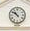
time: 10:51
